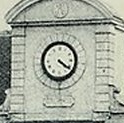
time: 4:20
